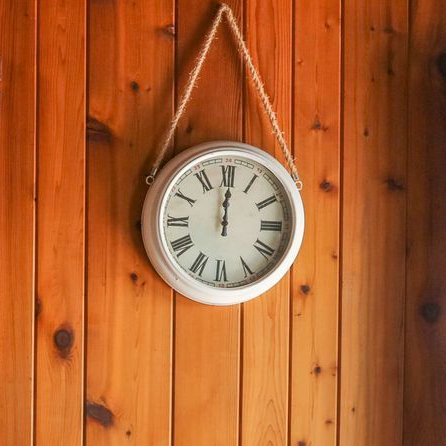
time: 12:00
